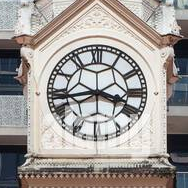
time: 3:42
